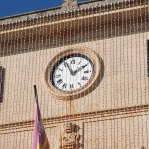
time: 1:56
